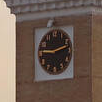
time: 9:12
